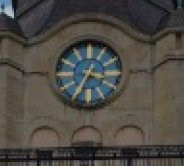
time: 3:34
